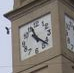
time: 11:22
